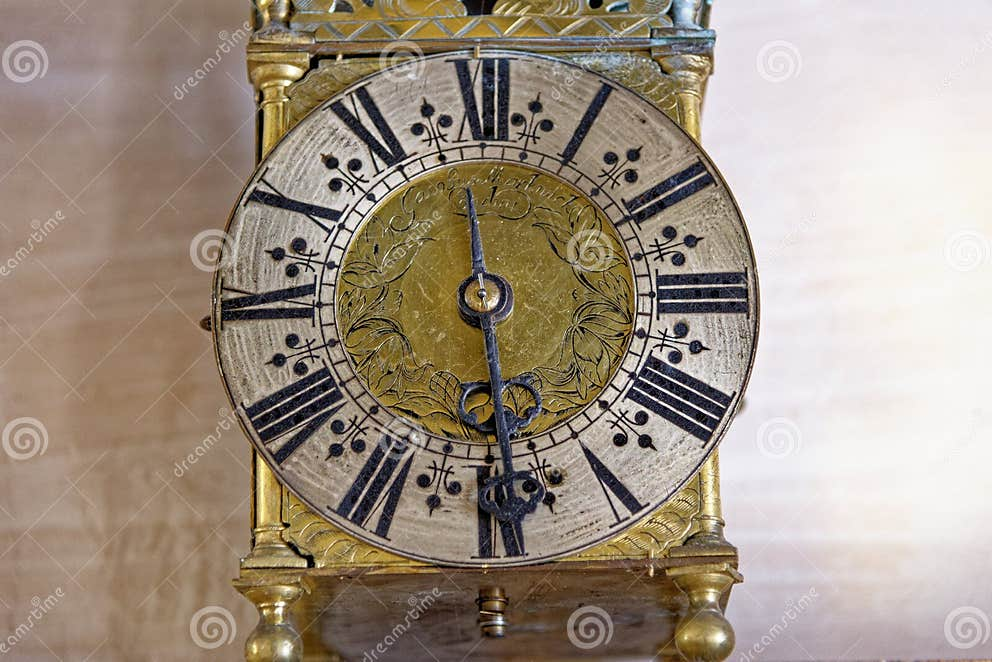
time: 11:28
